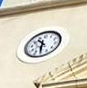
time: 10:30
